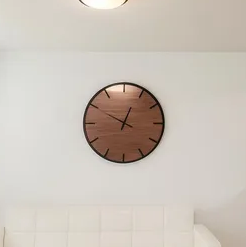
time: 12:49
